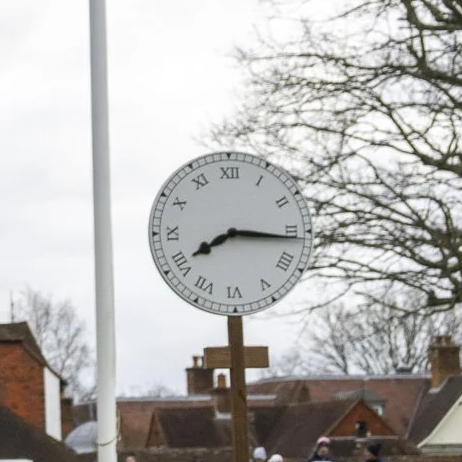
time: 8:16
